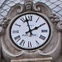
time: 1:57
